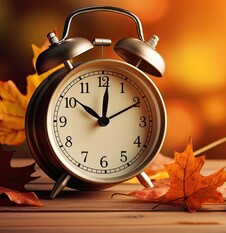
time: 10:01
